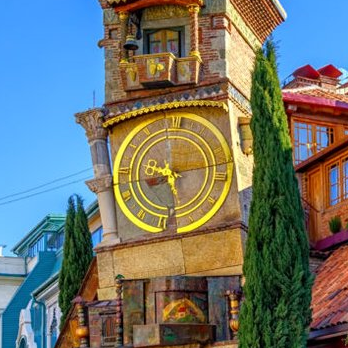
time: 9:28
